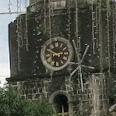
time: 2:48
